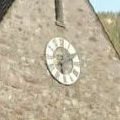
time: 6:10
